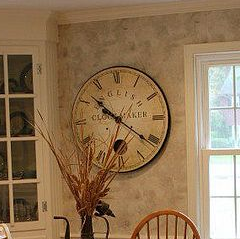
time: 10:21
